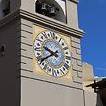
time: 9:39
